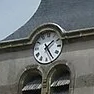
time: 1:24
